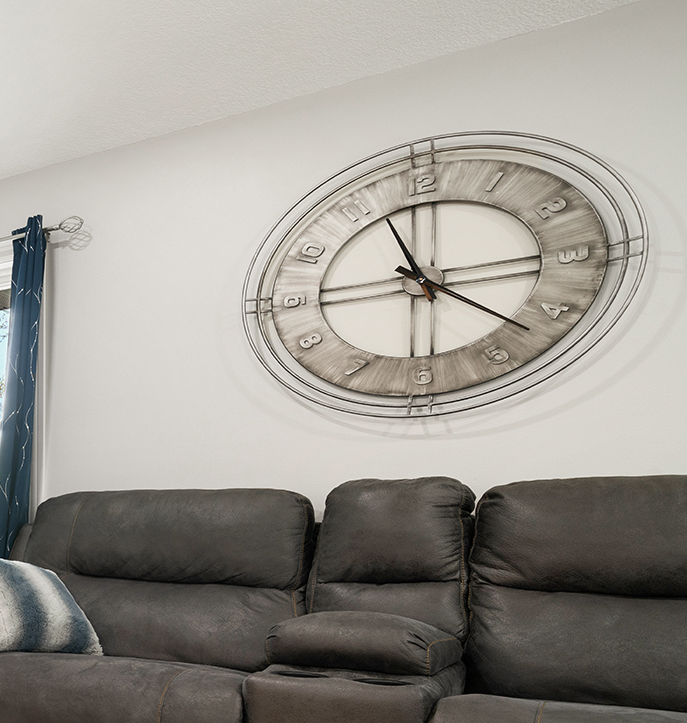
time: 11:21
